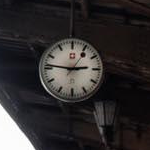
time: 2:46
